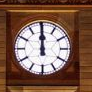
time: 11:59
